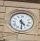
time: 4:29
